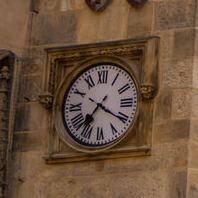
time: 7:20
